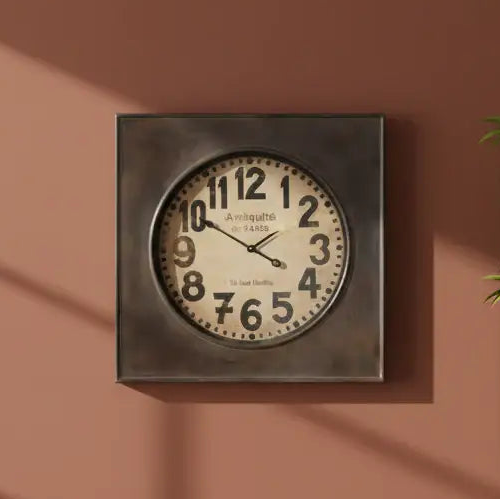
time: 1:50
